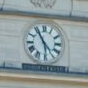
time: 5:55
